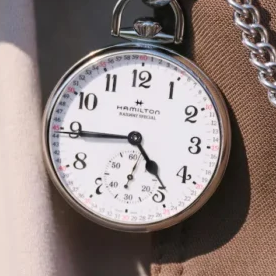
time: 4:44
